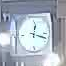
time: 12:17
